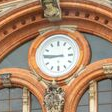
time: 8:45
